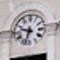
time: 9:33
